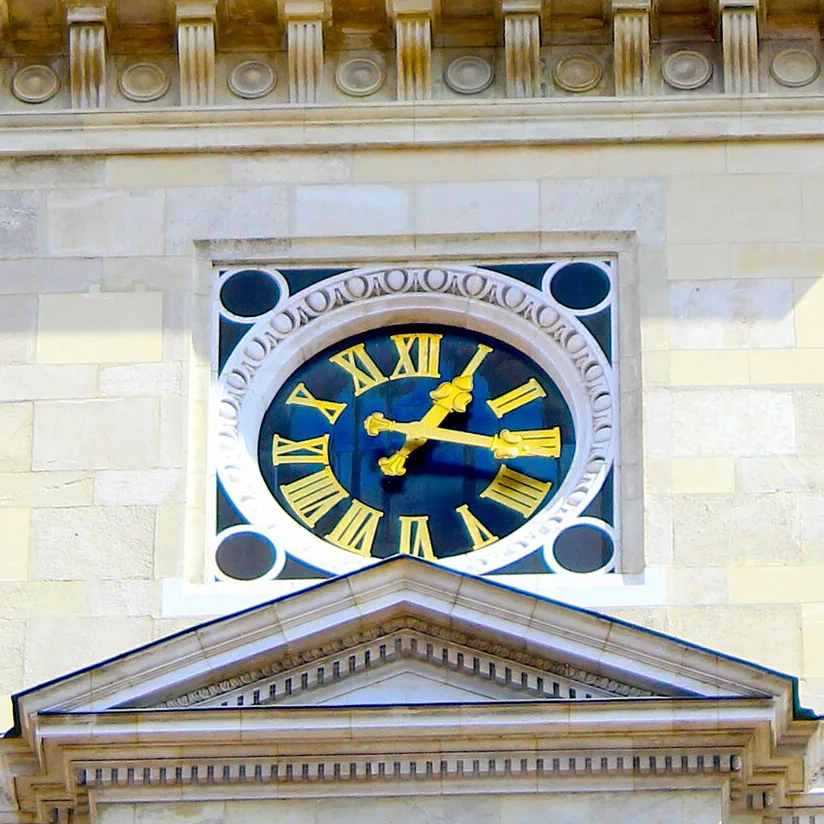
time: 1:16
